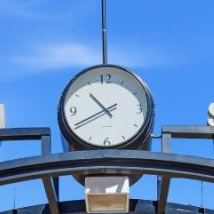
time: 10:40
